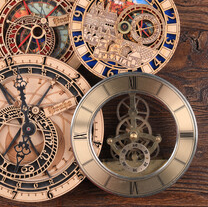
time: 7:59
